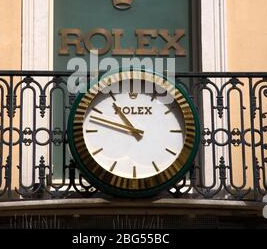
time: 10:47
